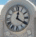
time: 12:20
